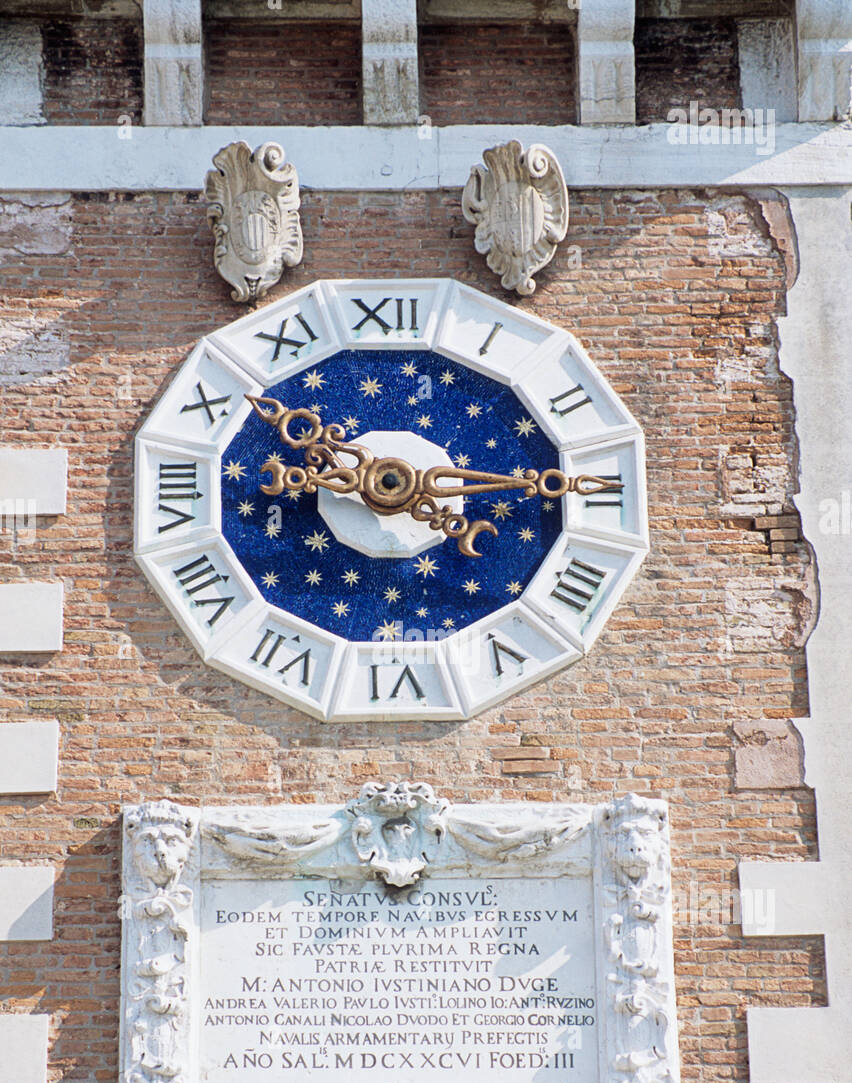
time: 4:14
